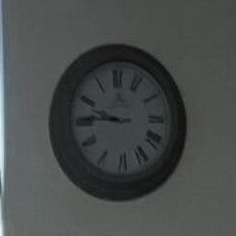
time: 9:45
